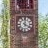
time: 4:01
